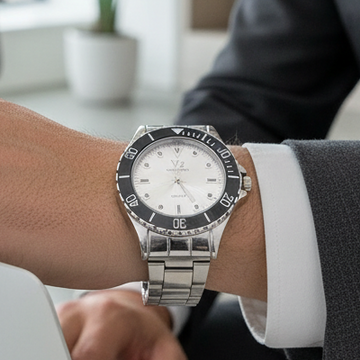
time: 12:24
